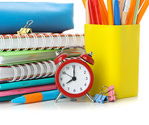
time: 8:00
